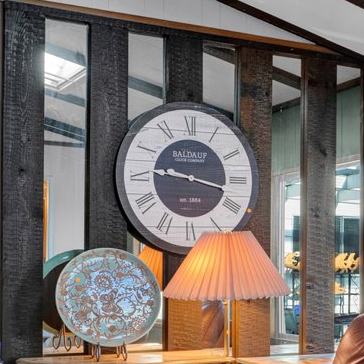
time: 9:17
